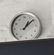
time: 1:08
